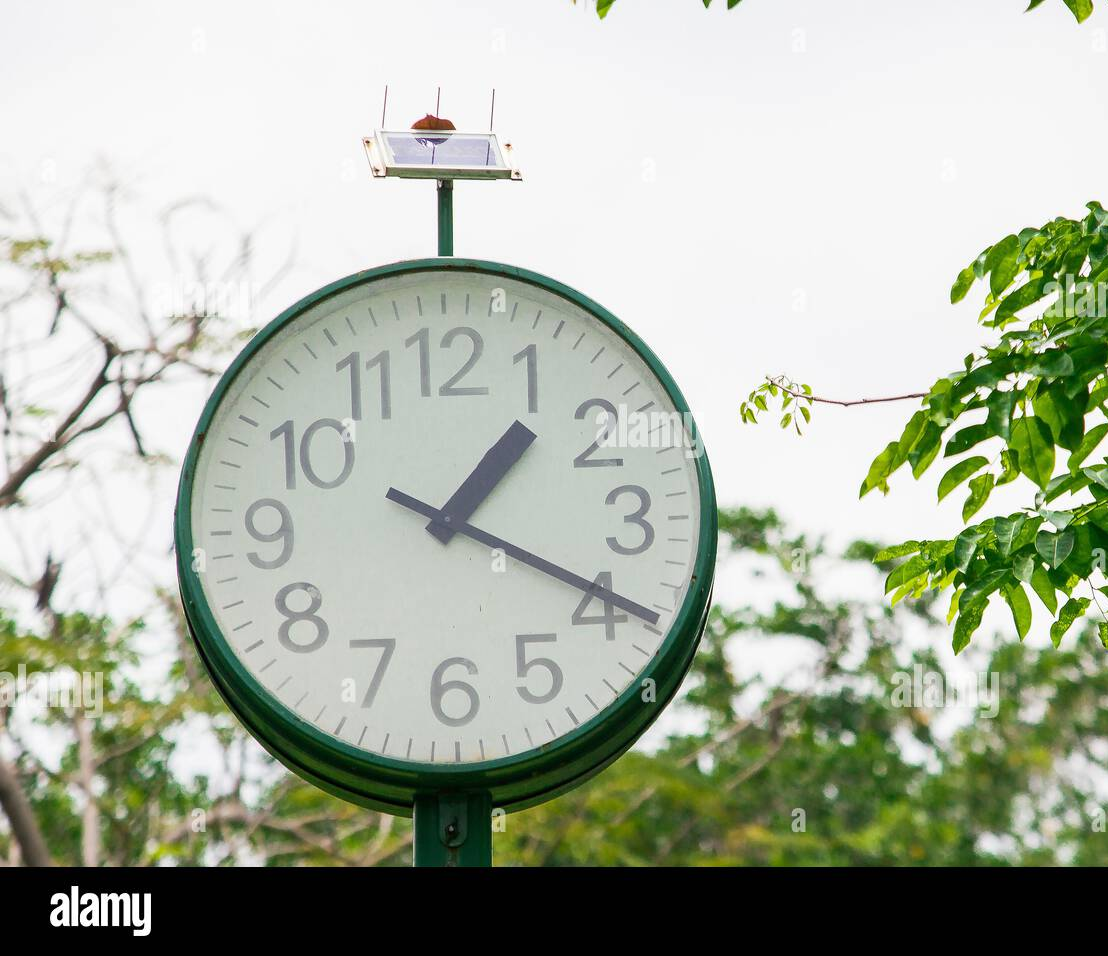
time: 1:19
